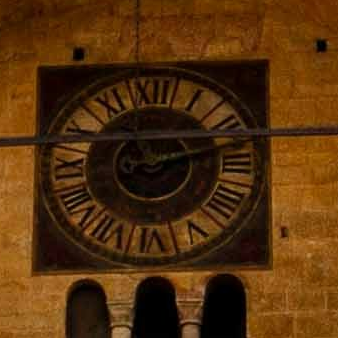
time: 11:12
